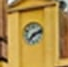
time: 7:11
